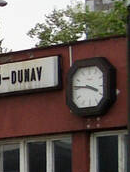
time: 3:46
